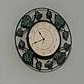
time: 10:41
